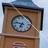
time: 6:47
